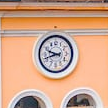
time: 9:42
